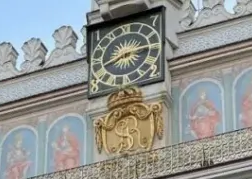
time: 8:13
